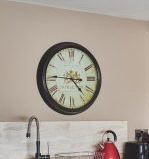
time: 4:45
